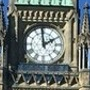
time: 1:59
